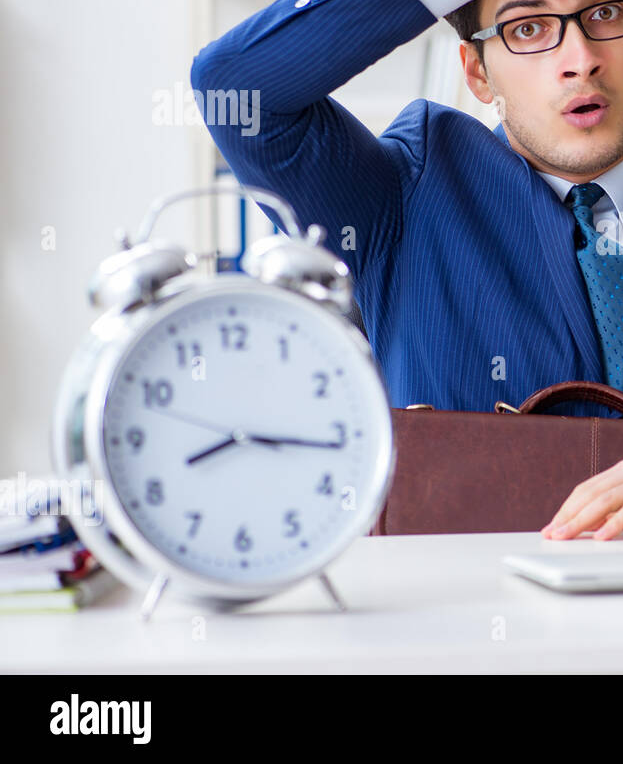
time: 8:16
